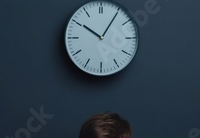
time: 10:05
